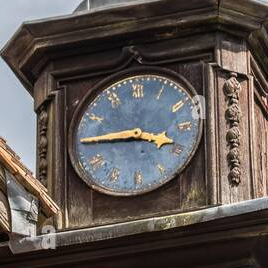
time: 3:45
